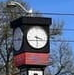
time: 3:29
